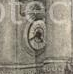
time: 4:40
